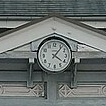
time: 4:06
